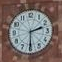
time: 2:30
